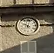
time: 10:02
